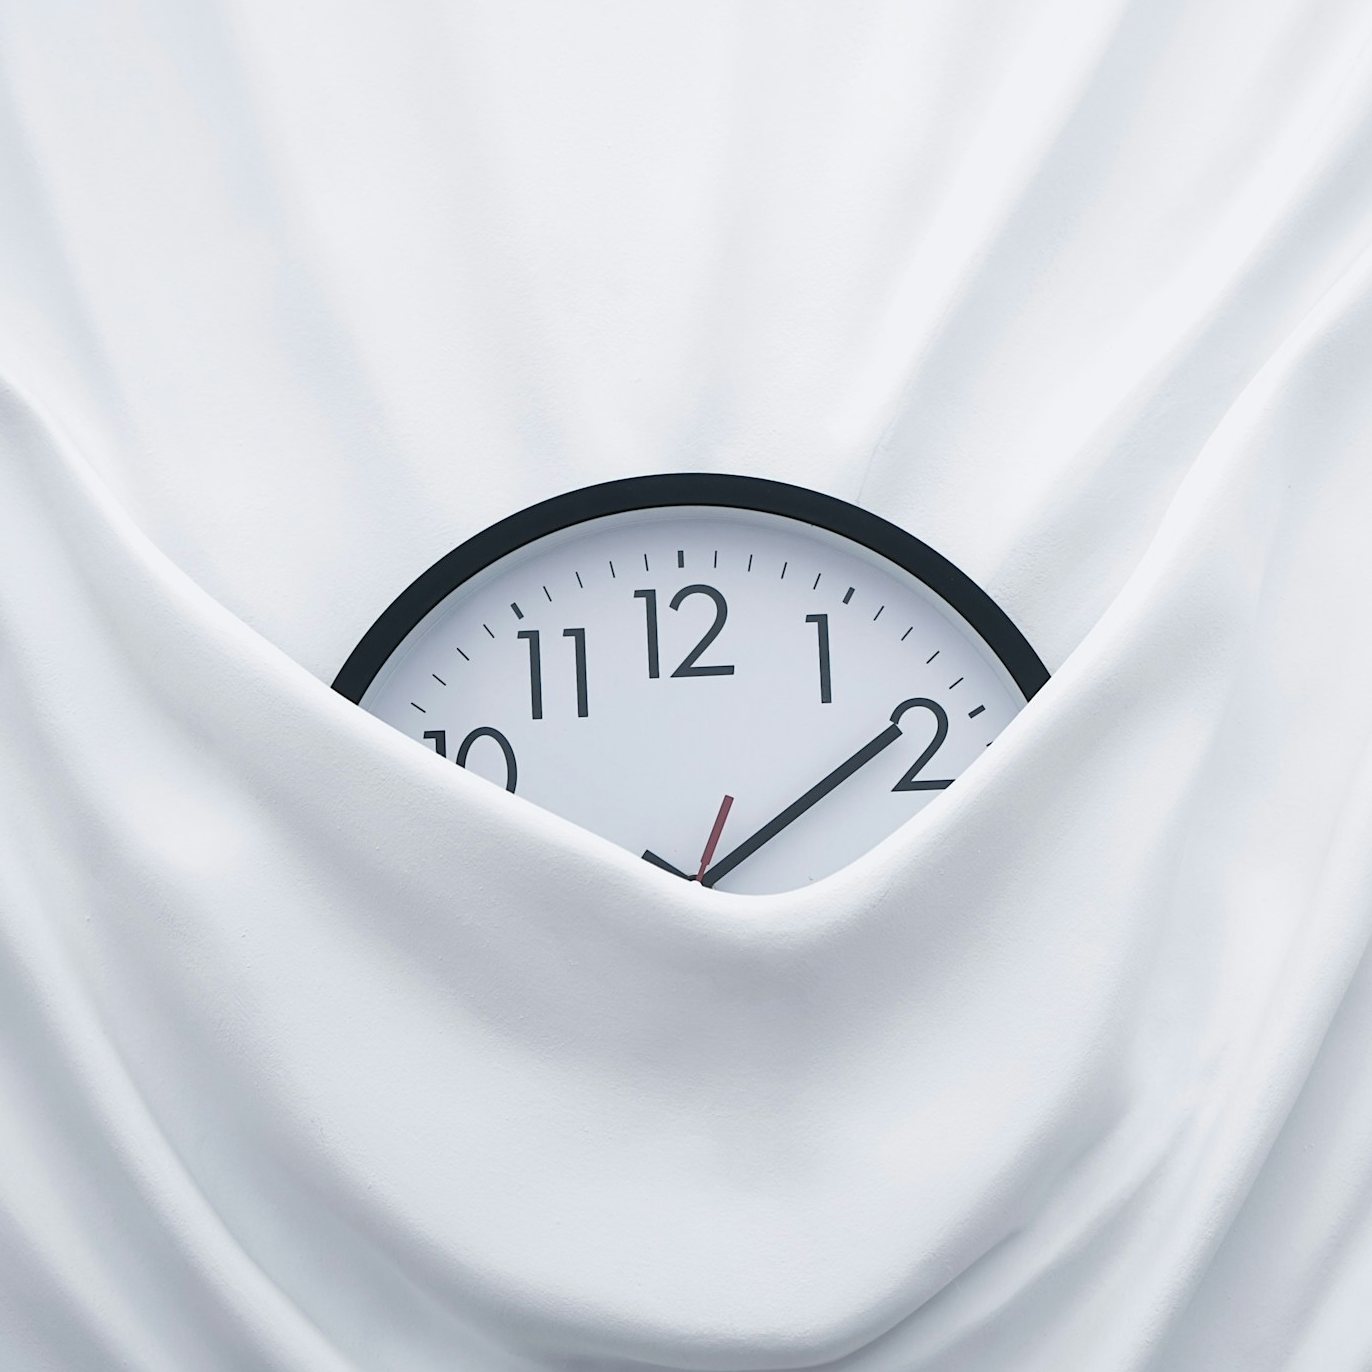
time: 1:49
